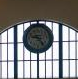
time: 9:23
